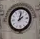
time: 2:02
